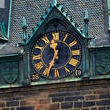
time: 12:34
